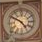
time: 4:50
